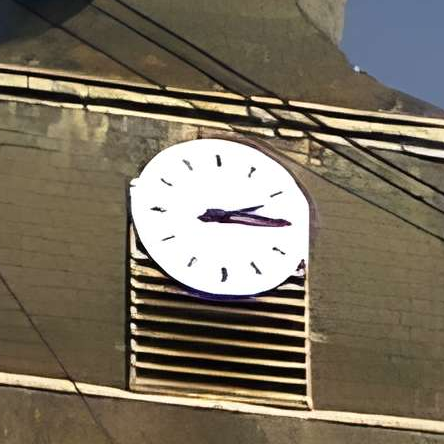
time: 2:15
